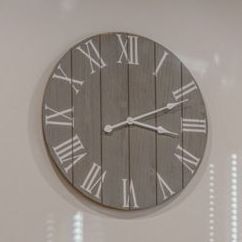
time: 3:11
